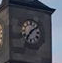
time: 7:08
